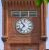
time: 10:36
